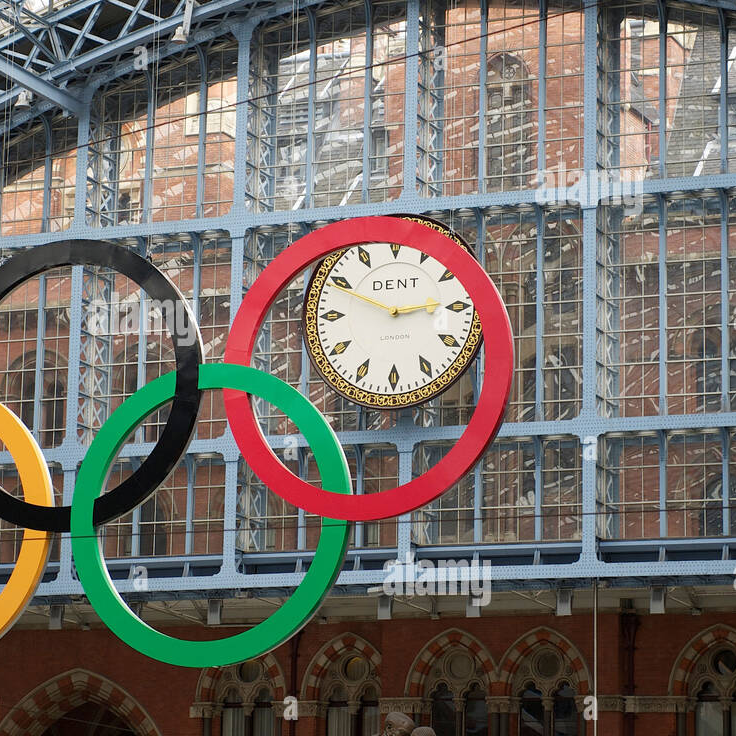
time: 2:49
